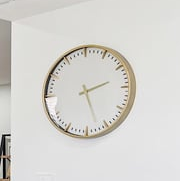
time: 2:27
